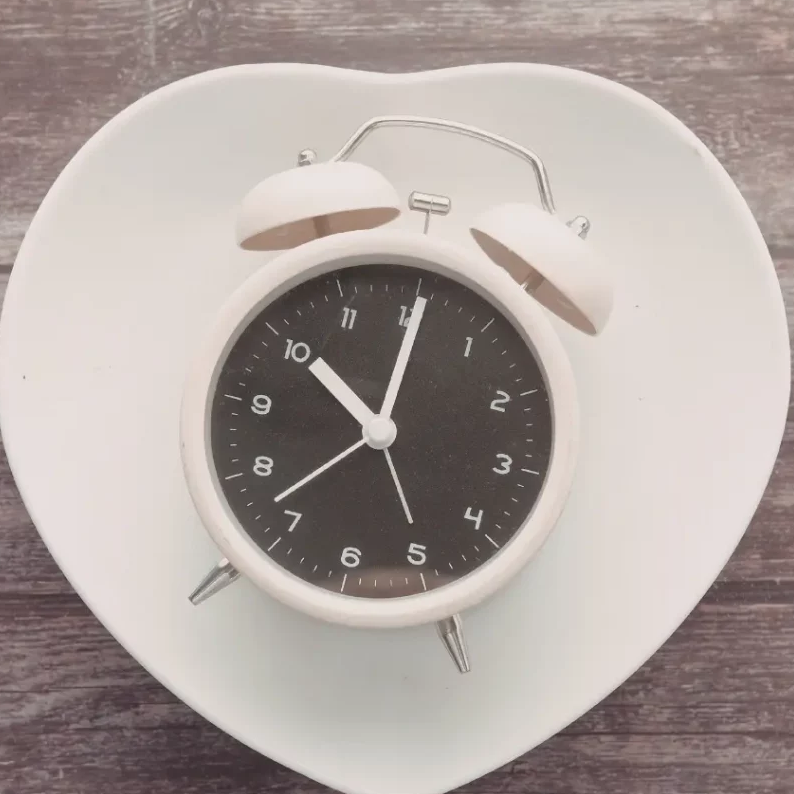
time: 10:00
